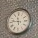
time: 11:46
